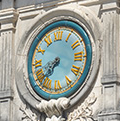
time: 7:37
